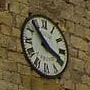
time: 3:53
